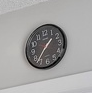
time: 1:36
